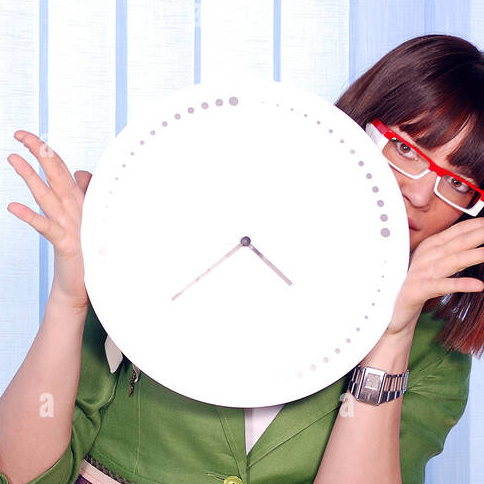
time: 4:39
